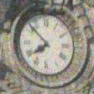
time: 7:52
